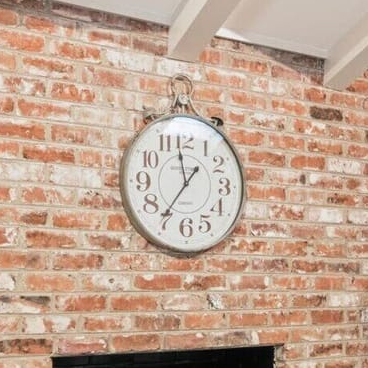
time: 11:36
